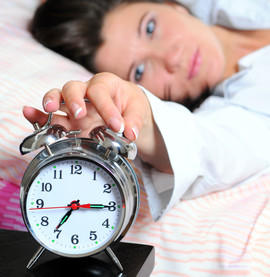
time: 7:15
